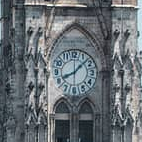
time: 8:07
